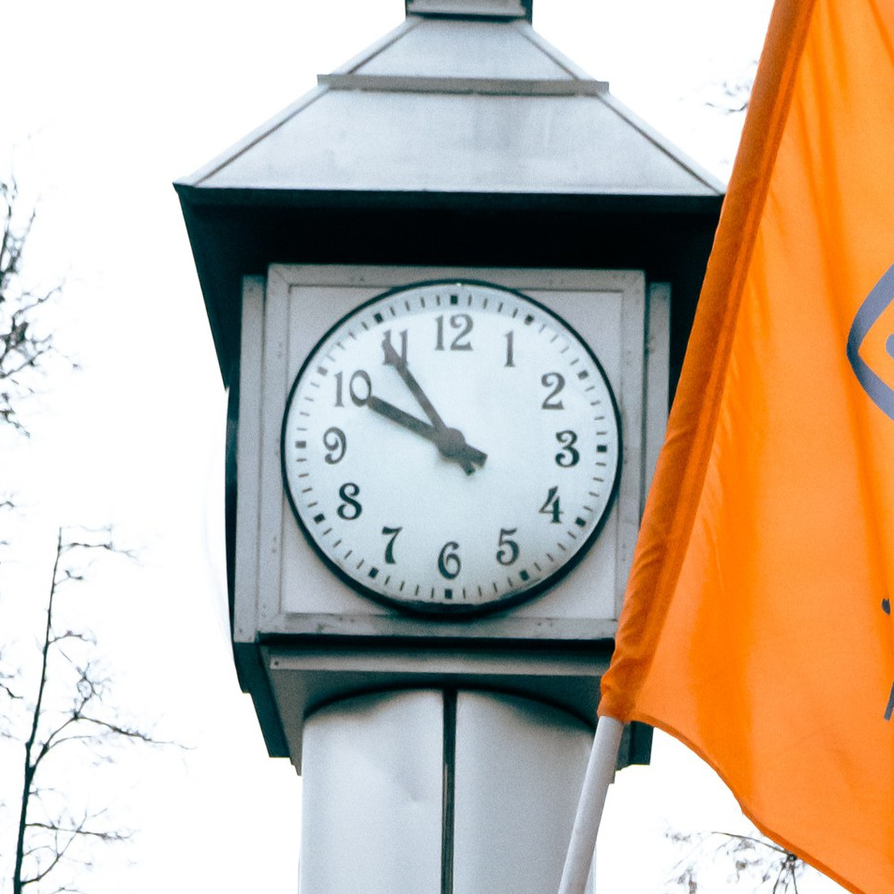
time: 9:54
